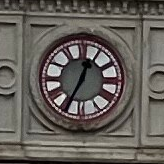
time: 12:34
